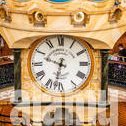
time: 9:32
